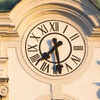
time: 7:28
